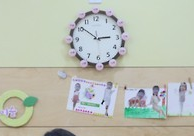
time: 2:51
